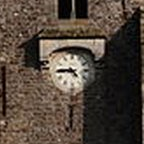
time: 4:44
